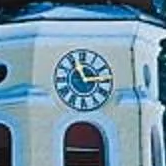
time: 2:56
